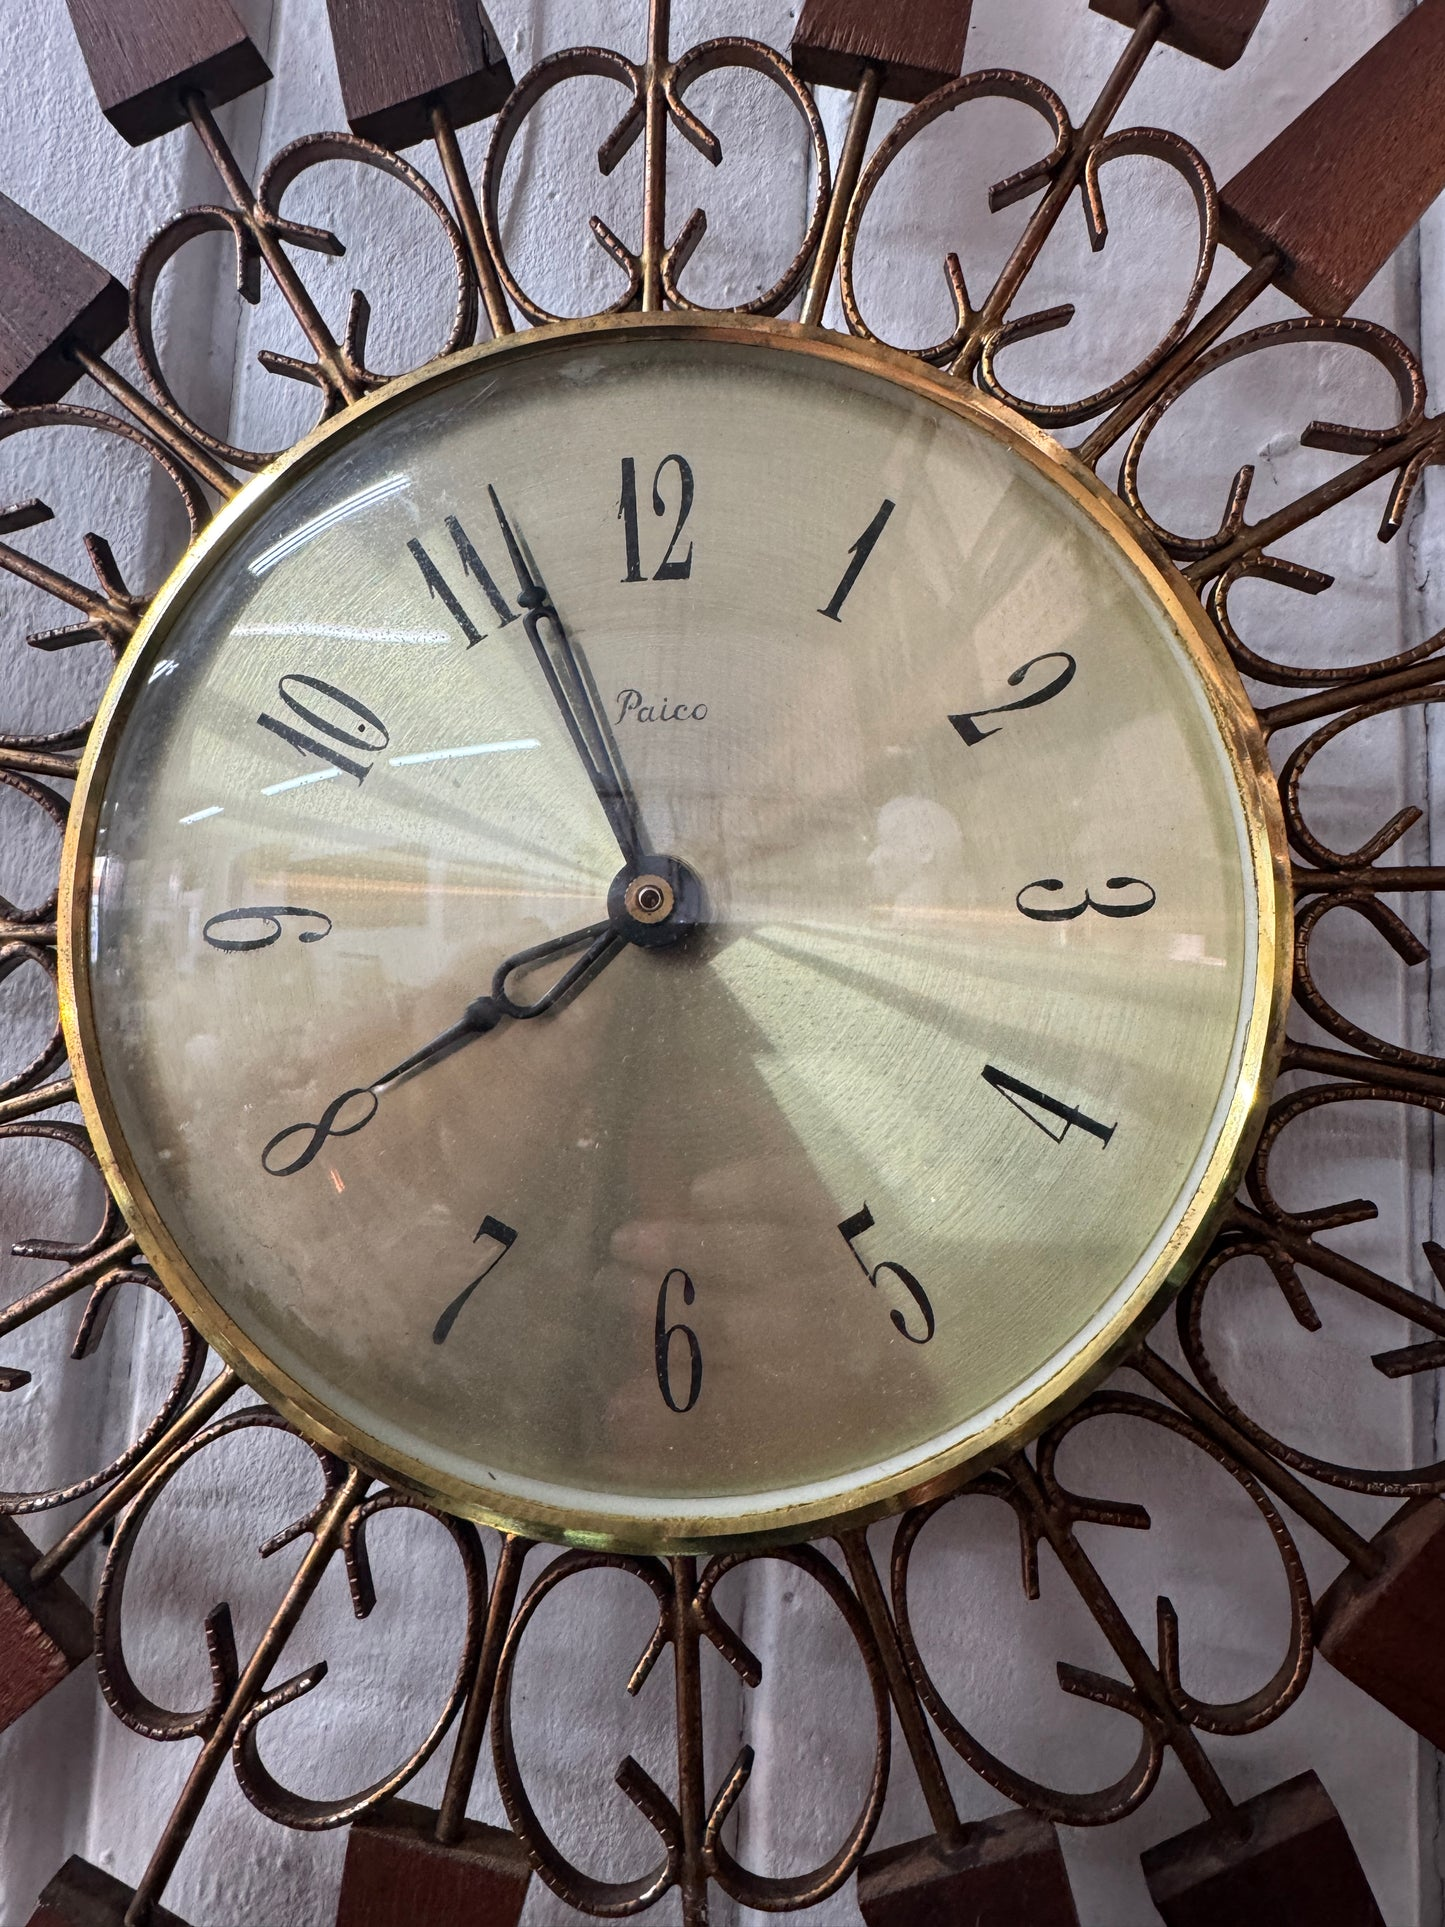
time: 7:56
